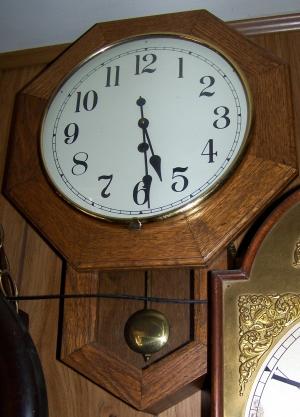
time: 5:28
